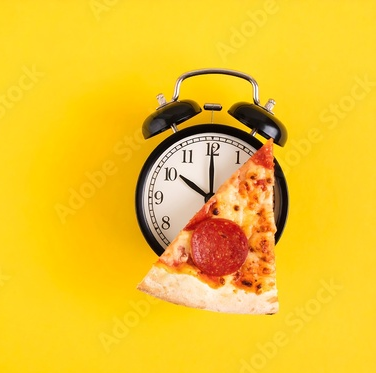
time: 10:00
